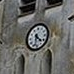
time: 4:31
